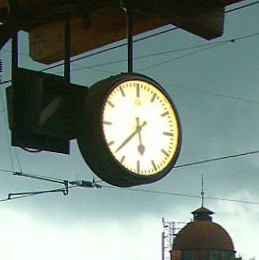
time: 5:37
